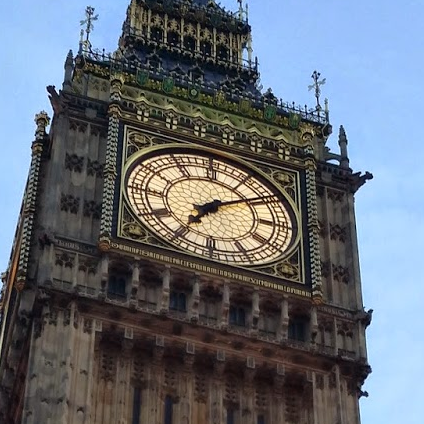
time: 7:09
